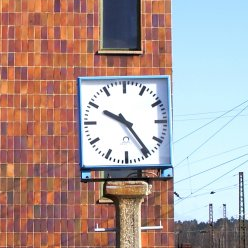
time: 10:24
